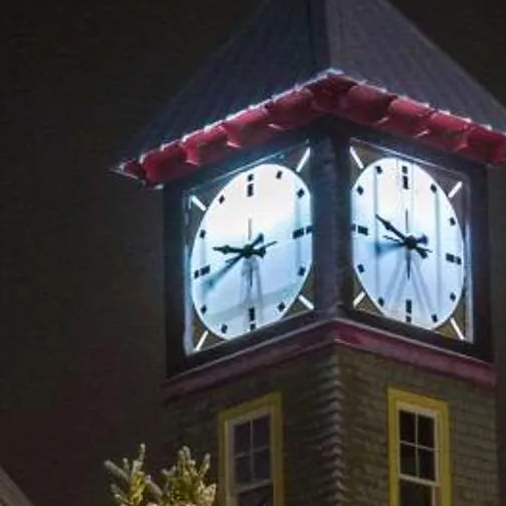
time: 9:42
